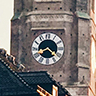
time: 8:21
